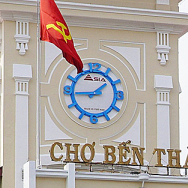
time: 1:44
